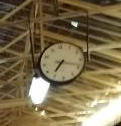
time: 7:18
